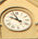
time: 9:56
